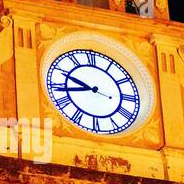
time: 9:43
